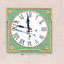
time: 11:47
